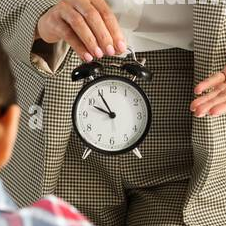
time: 9:54
